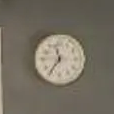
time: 11:36
